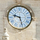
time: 9:27
